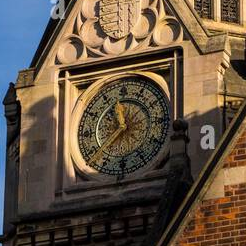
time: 12:37
